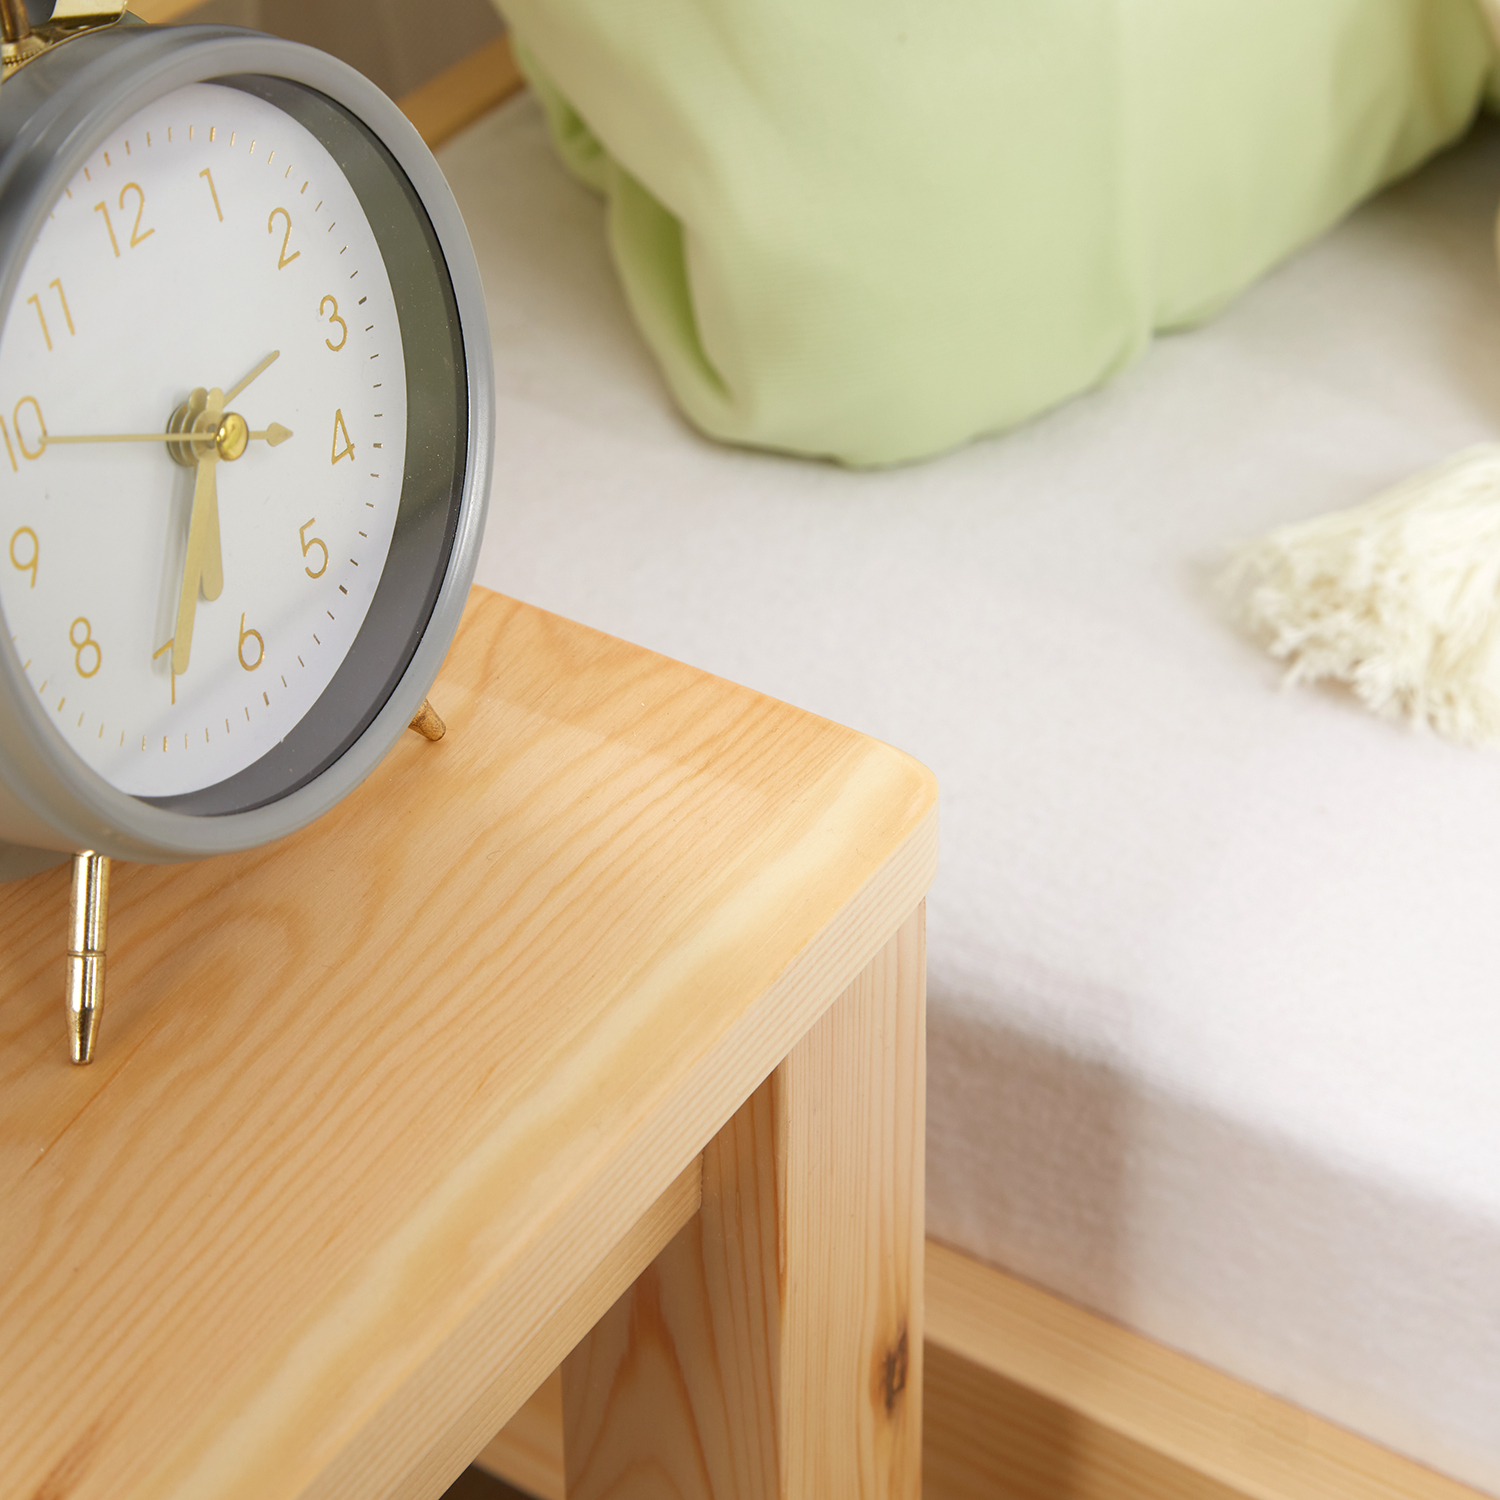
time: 3:34
